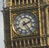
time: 2:24
